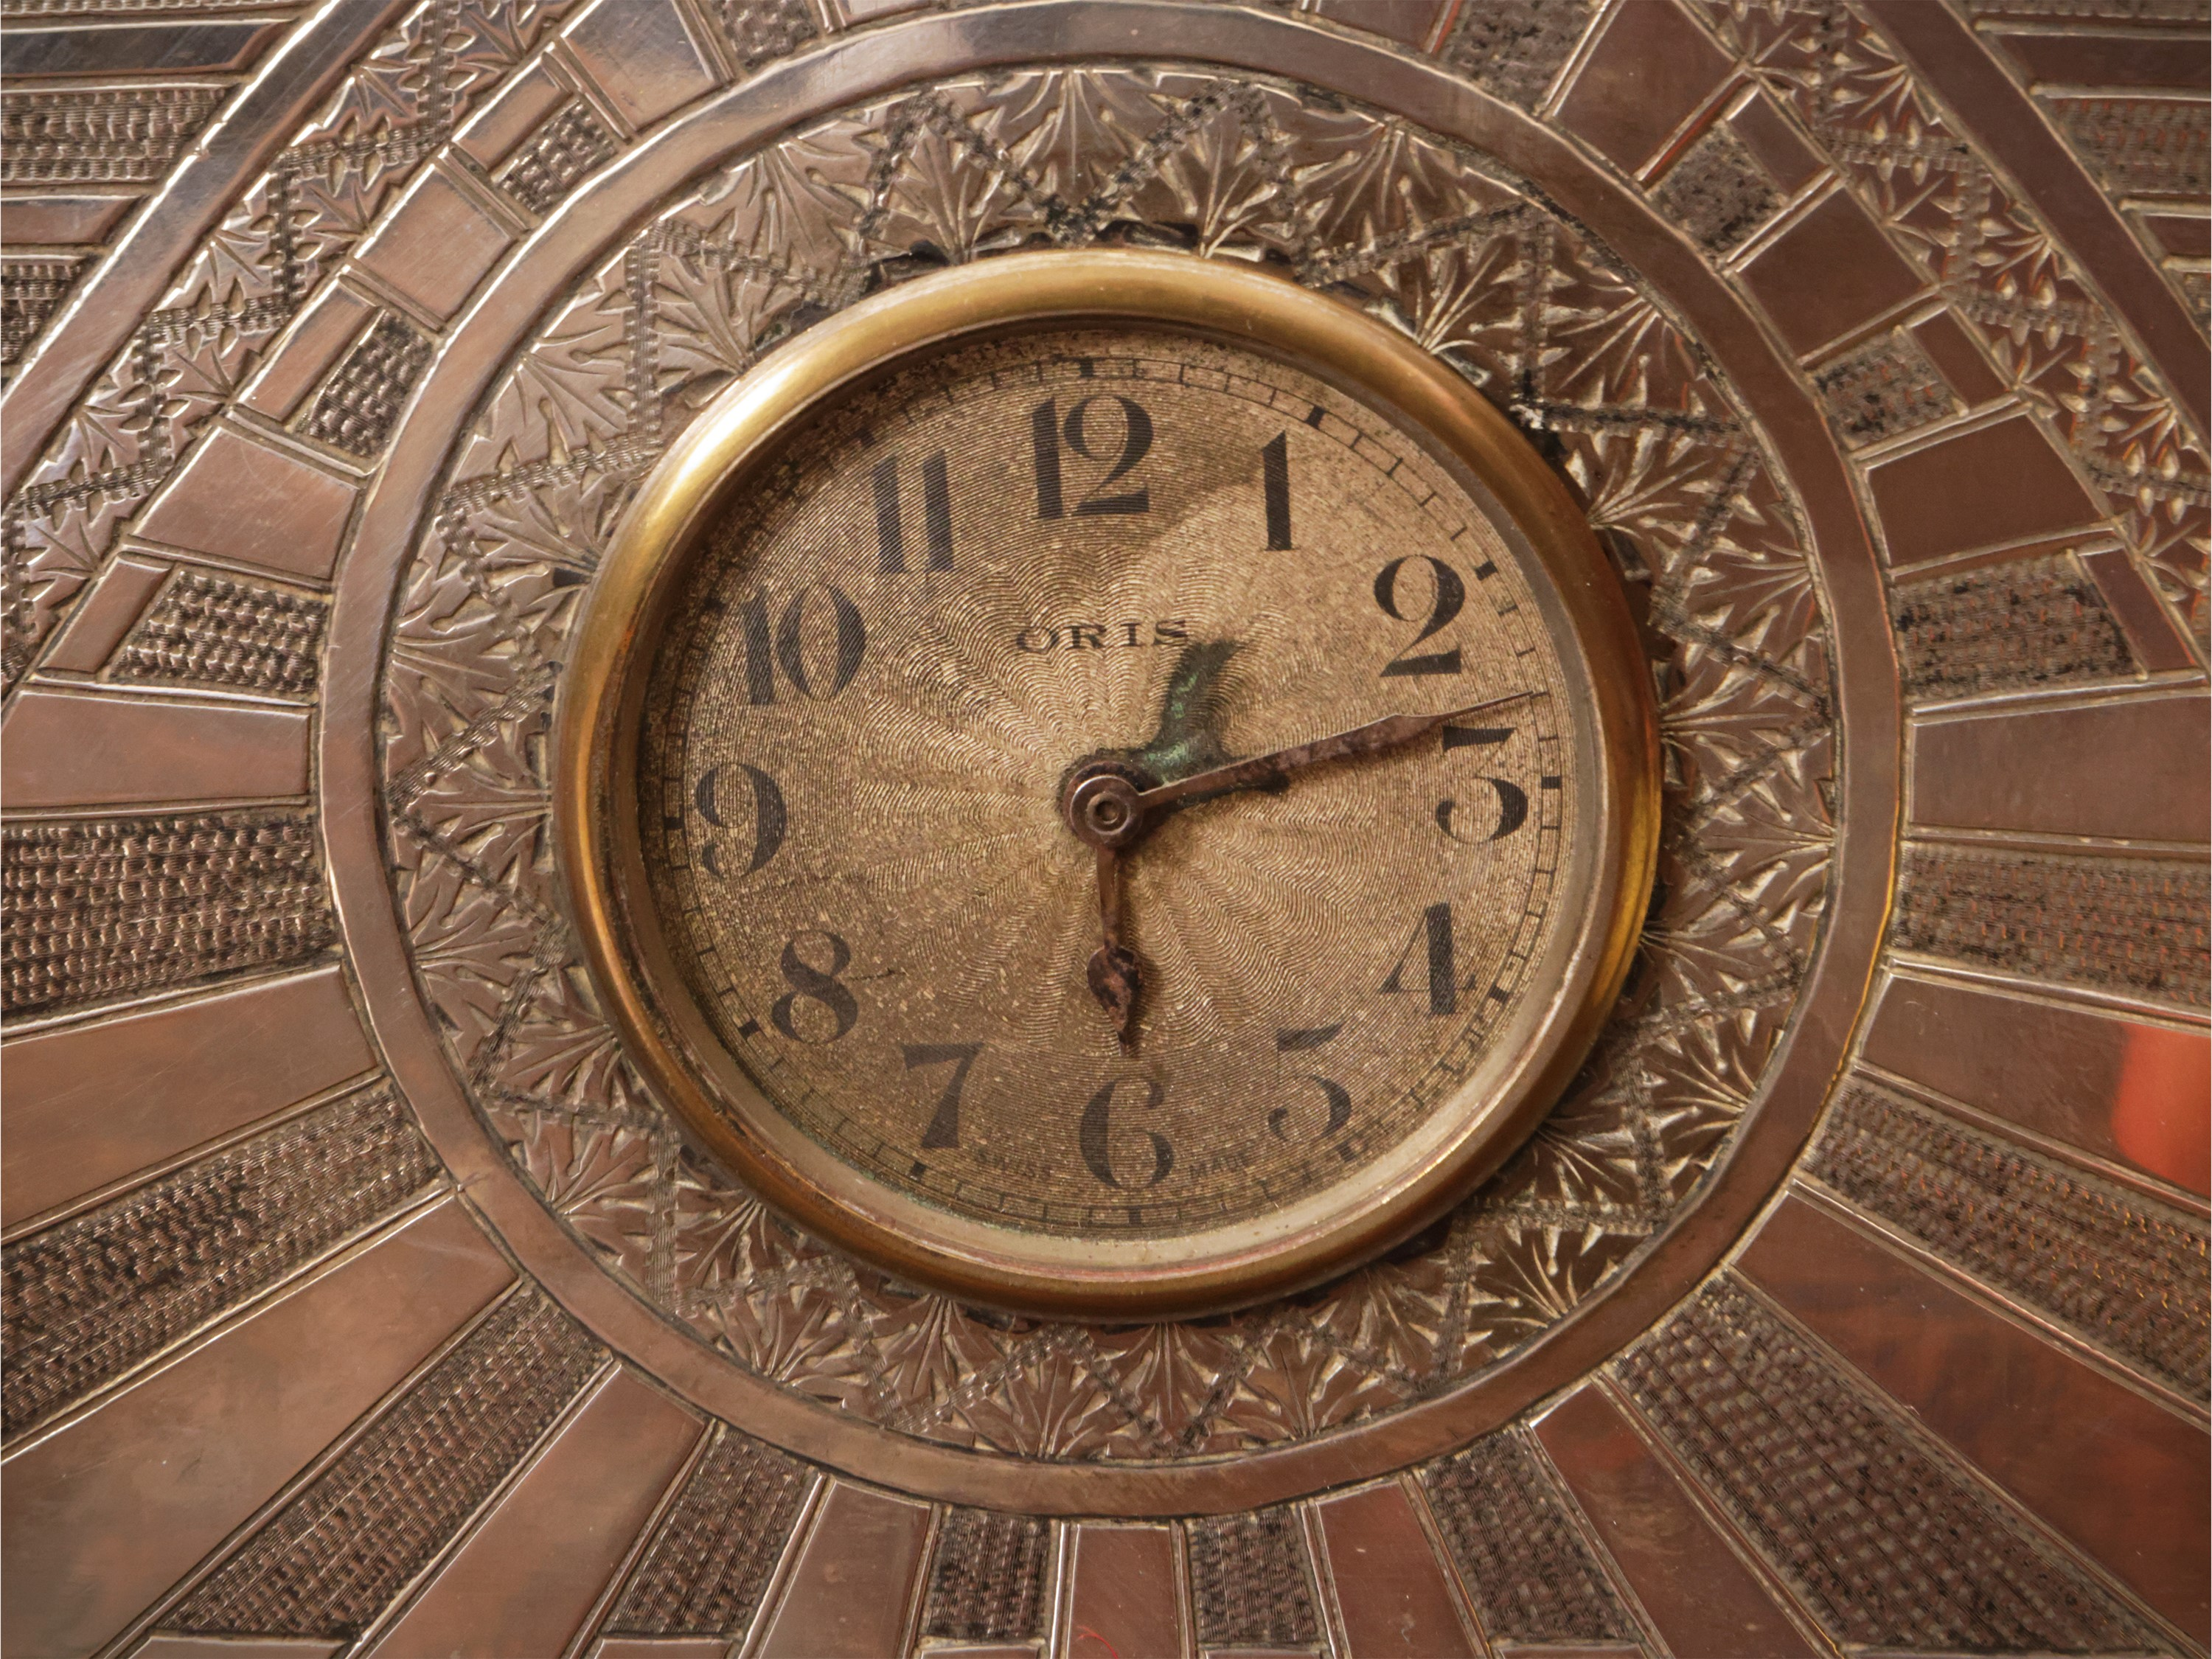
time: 1:12
